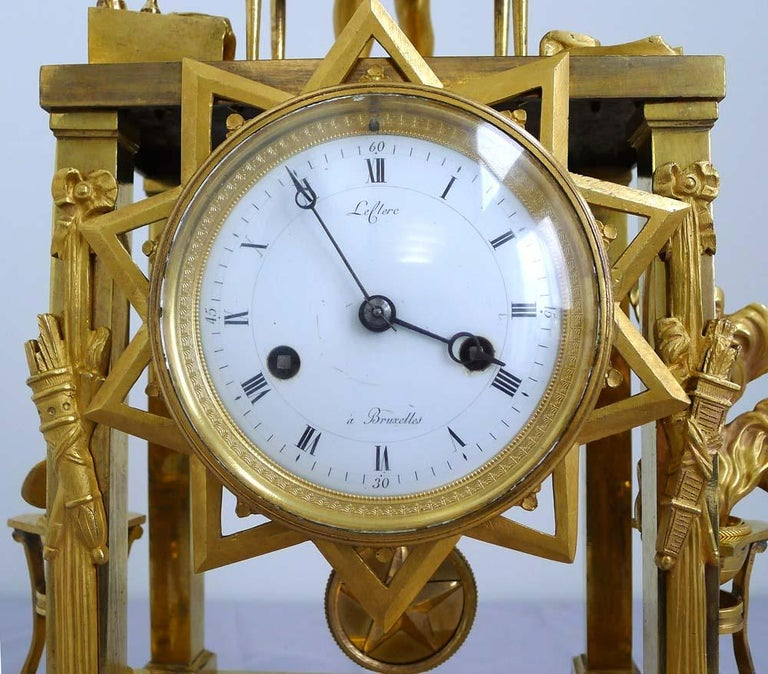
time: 3:55
